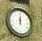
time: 6:01
